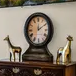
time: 12:09
